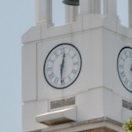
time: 12:30
